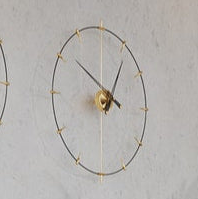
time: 12:51
